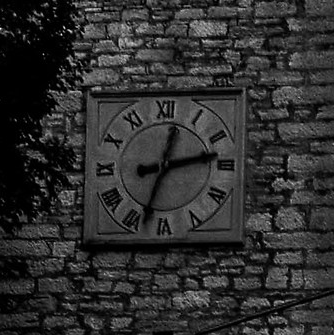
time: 2:33
